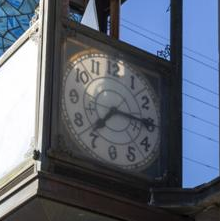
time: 7:15
